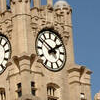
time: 1:51
